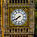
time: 7:40
